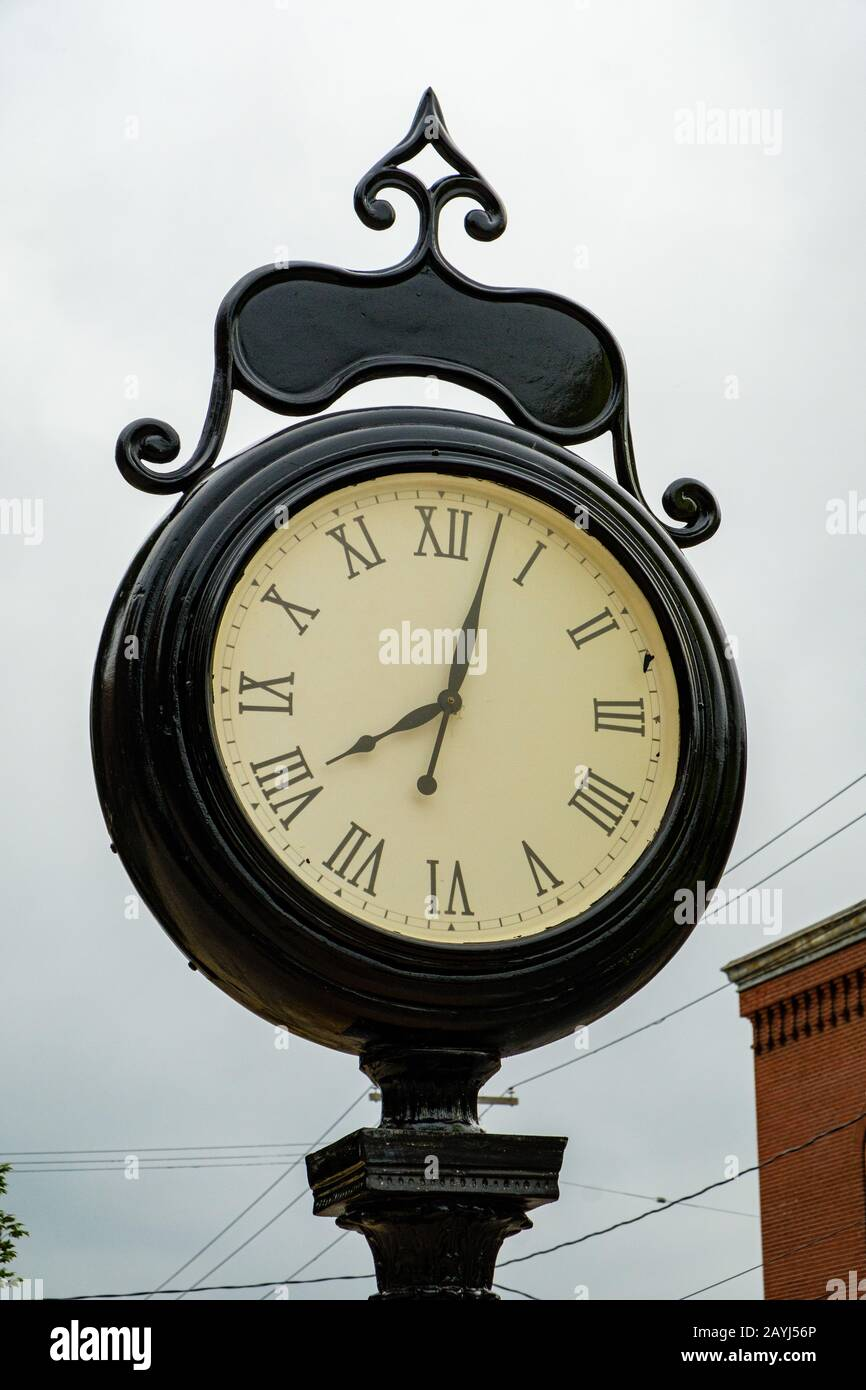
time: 8:02
